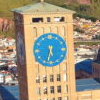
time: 5:33
